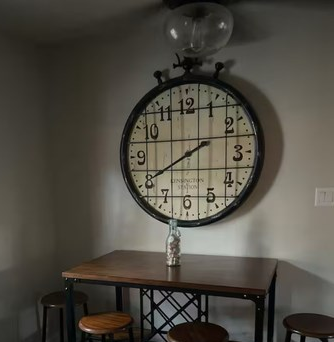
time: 8:01
